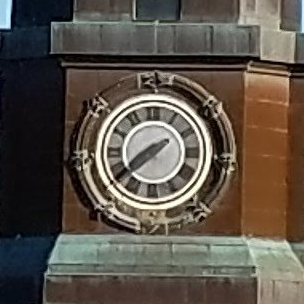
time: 7:38
